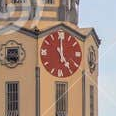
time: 5:00
